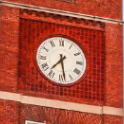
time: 7:28
